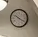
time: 10:20
